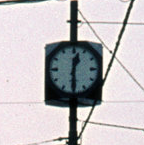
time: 12:29
